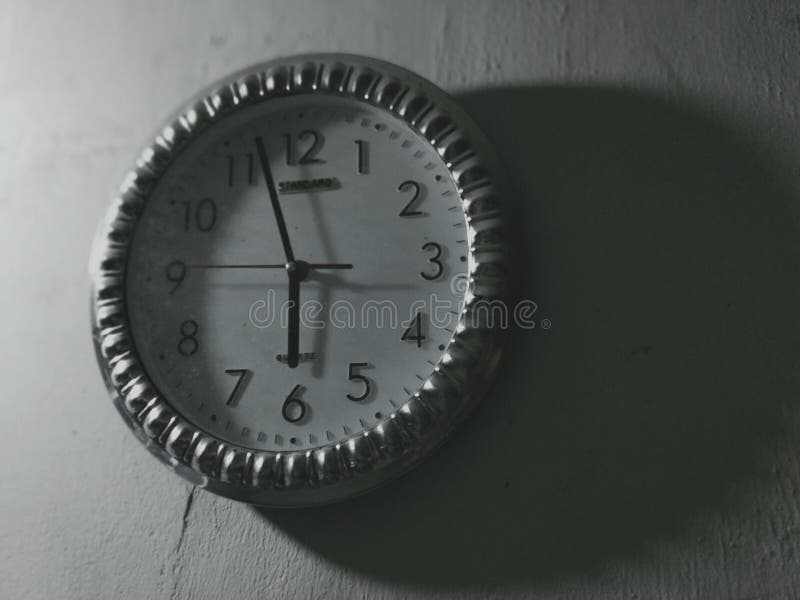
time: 5:57
